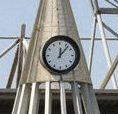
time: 12:06
